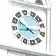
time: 8:51
